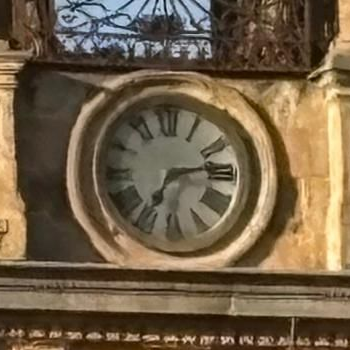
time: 7:13
